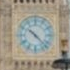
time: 10:22
